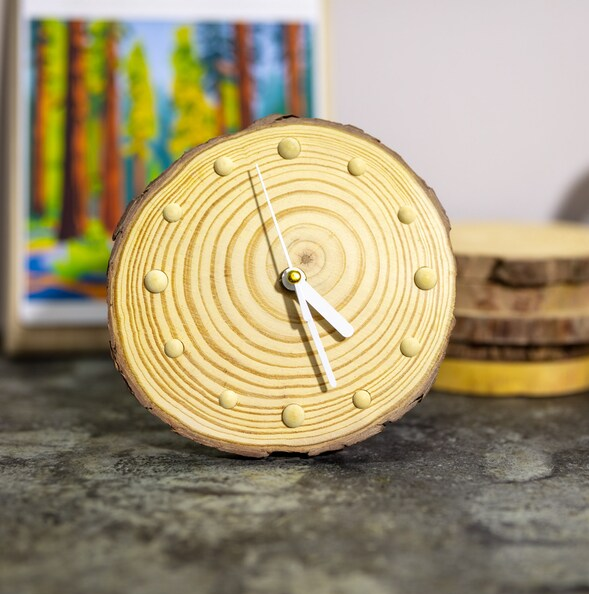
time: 4:26
